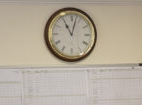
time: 11:02
